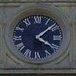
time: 4:08
